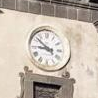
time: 8:51
